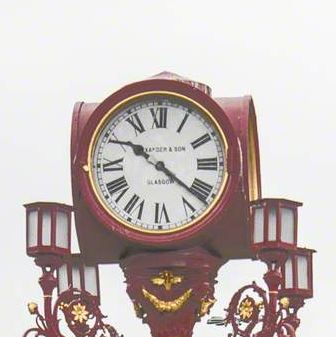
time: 10:21
